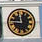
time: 11:44
